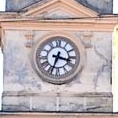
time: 3:33
